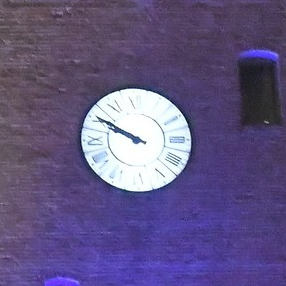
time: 9:50
